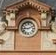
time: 9:11
